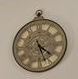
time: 4:26
